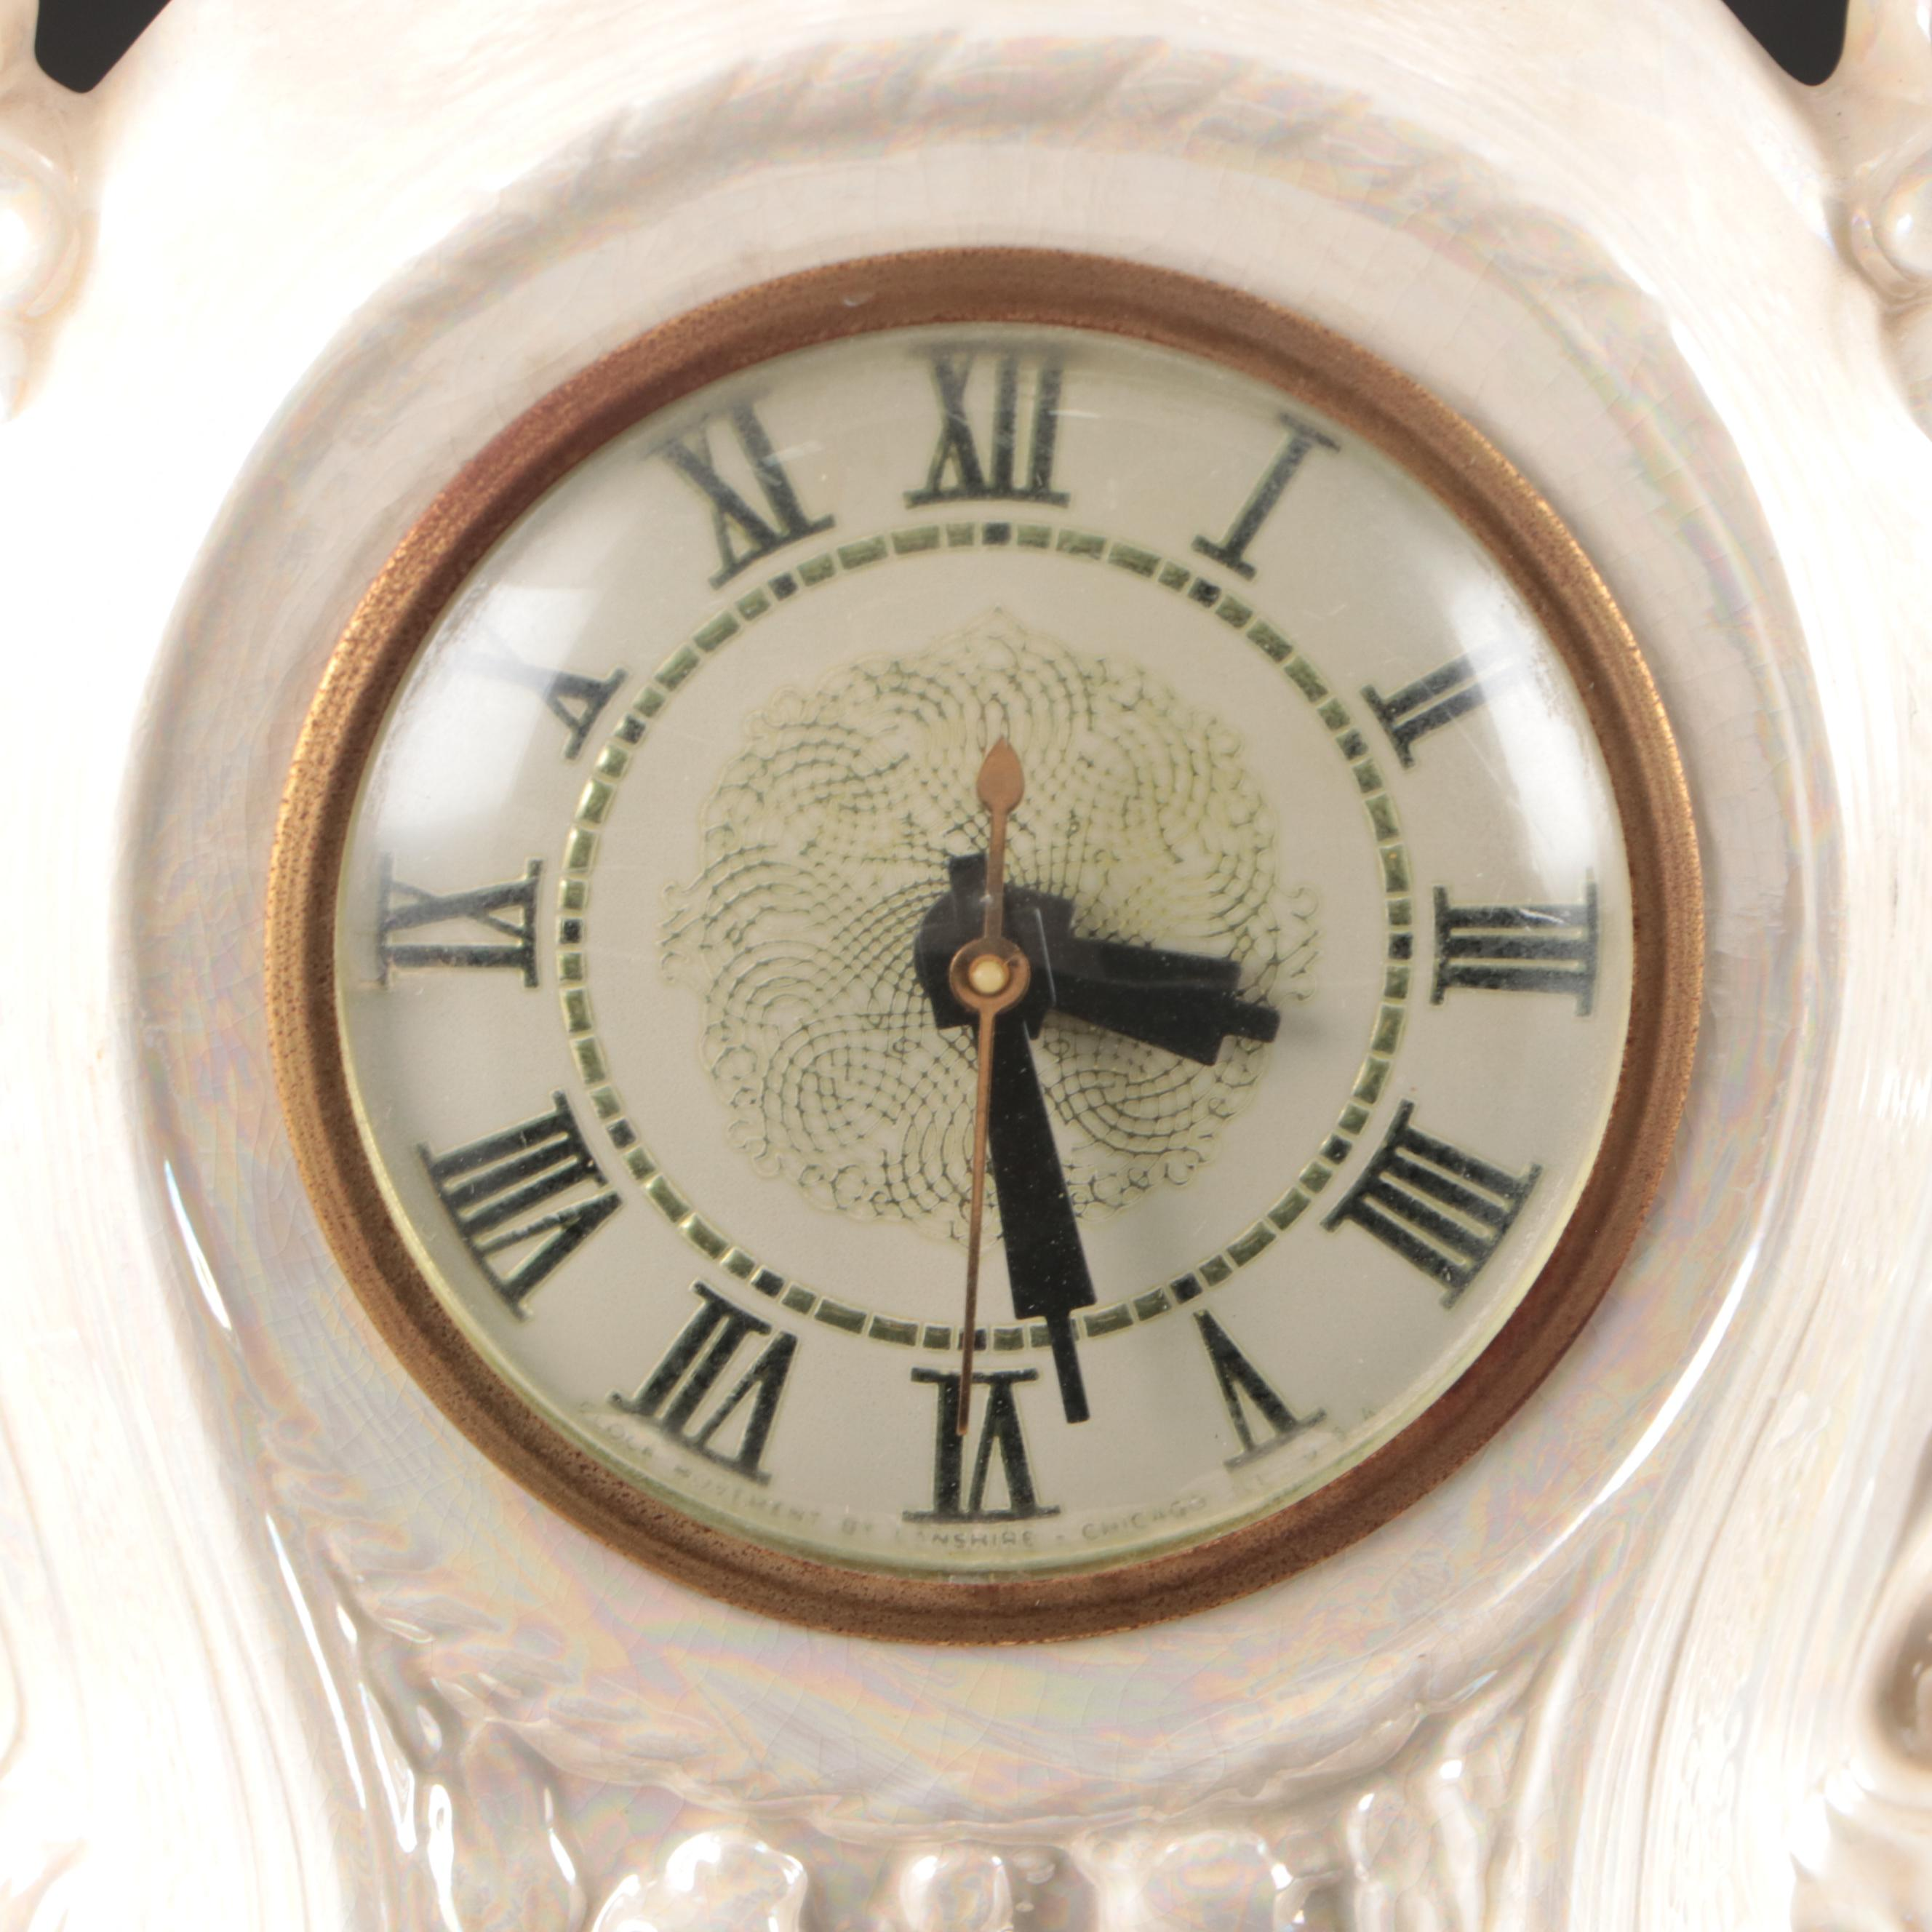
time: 3:28
